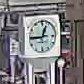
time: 12:44
